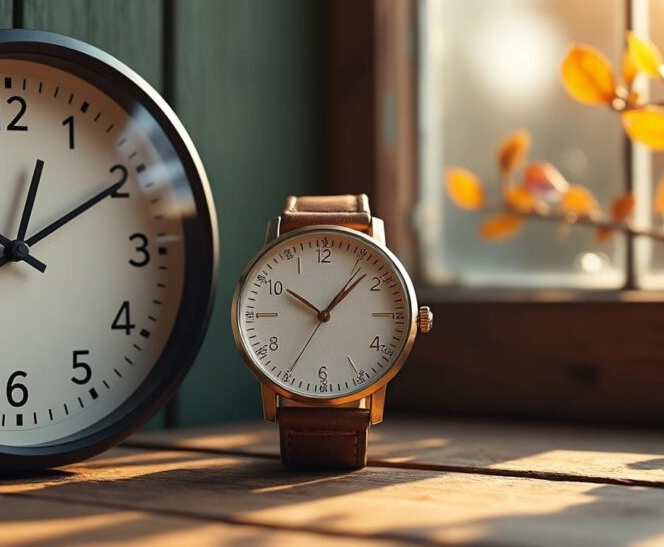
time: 10:07
